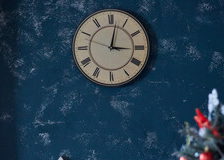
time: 3:01
